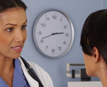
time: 2:41
